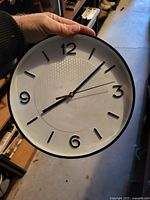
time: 8:08
